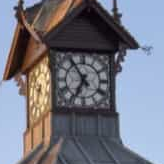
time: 6:54
